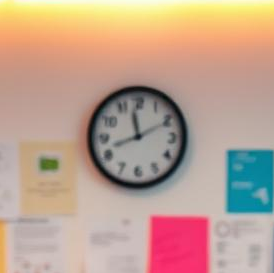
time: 11:42
